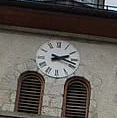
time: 2:18
